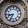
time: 8:34
